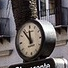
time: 11:53
